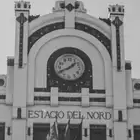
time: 1:40
